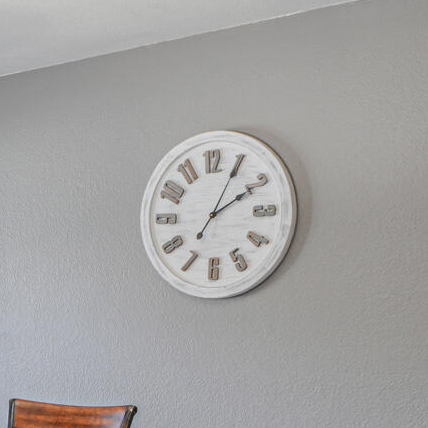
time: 2:04
